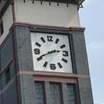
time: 2:40
